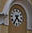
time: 4:35
